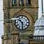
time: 10:30
